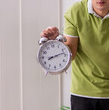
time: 8:12
